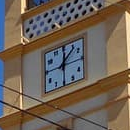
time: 12:07
